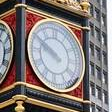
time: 9:50
